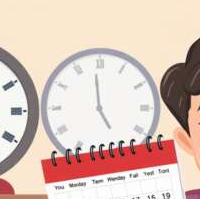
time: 4:58
